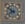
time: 7:51
